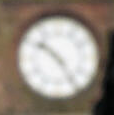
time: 10:24
